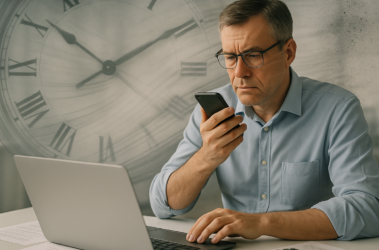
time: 10:09
